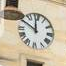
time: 11:50
